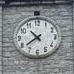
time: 10:39
